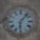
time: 6:06
